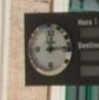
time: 12:14
